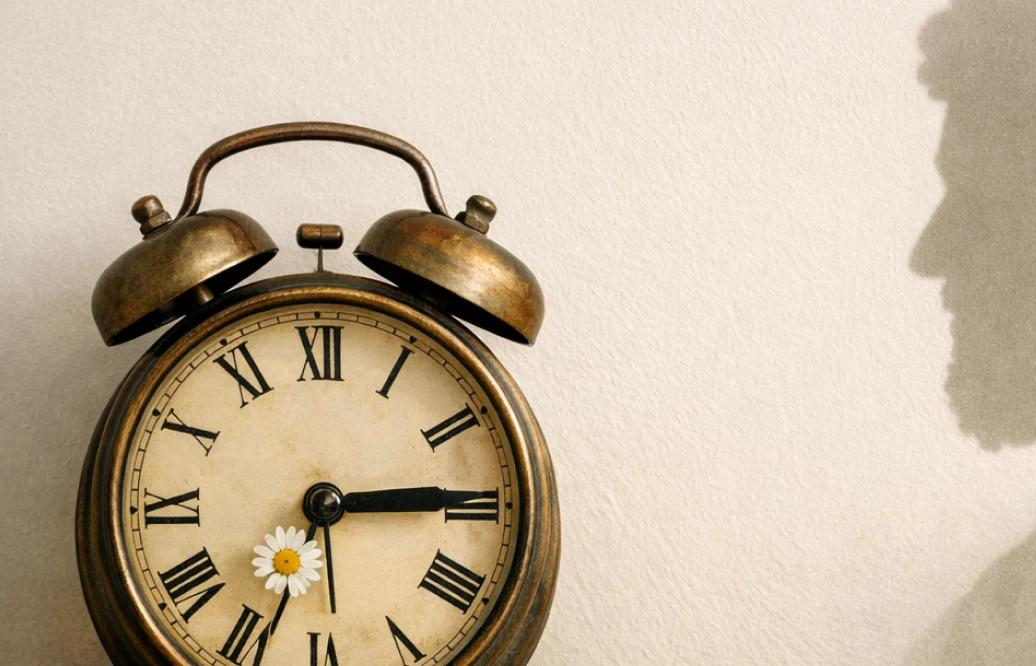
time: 7:14
